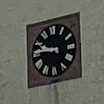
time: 9:45
